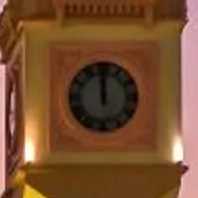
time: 11:59
